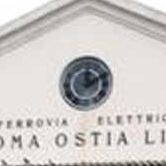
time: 12:10
